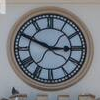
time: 2:49
